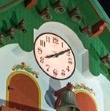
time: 8:09
